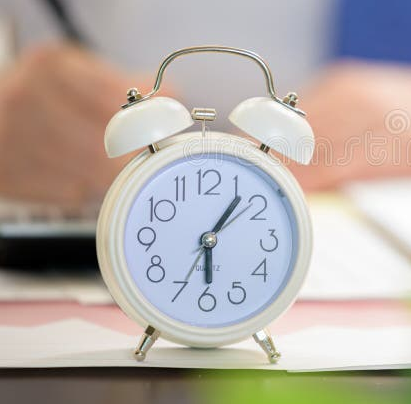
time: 6:06
